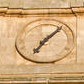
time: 7:07
